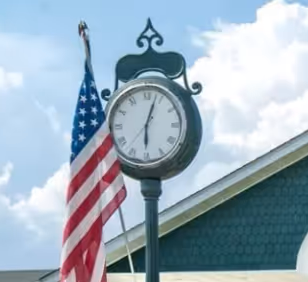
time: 6:03
